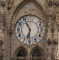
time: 6:55
